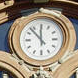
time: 11:52
